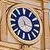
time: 11:17
